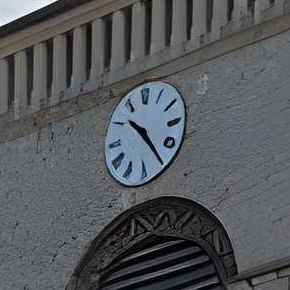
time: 10:24
